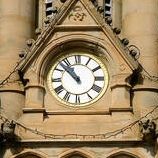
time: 10:52
